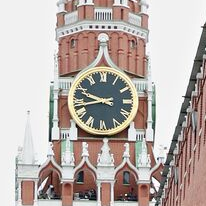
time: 9:42
